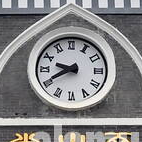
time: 9:40
